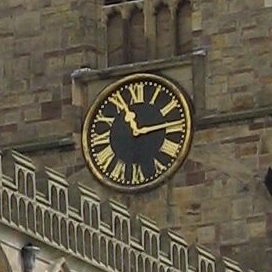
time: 11:13
